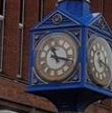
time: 11:17
